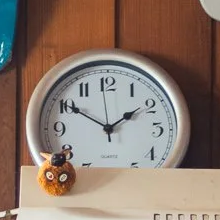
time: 1:50
